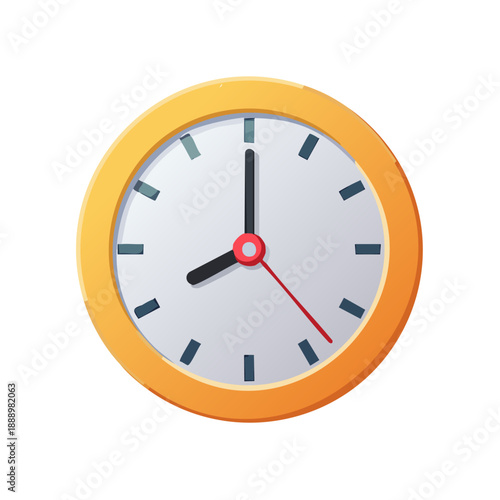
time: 8:00
